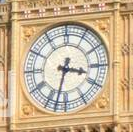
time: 3:32
